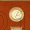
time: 7:04
